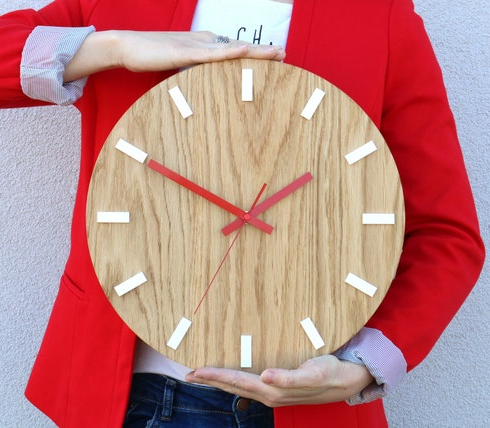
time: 1:50
